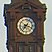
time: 7:18
